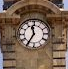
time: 11:35
